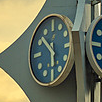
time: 5:51
